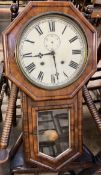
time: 5:43
